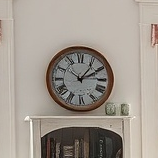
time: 2:06
